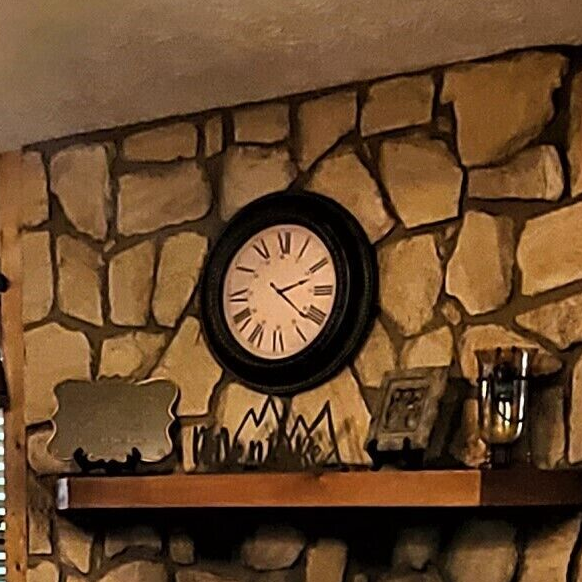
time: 2:21
